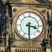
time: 3:30
